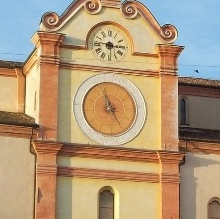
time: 4:57
